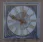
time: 12:49
